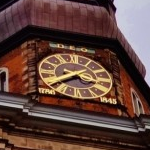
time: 3:38
